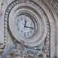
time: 12:16
